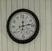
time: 12:13
